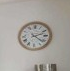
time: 2:21
